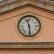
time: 11:28
